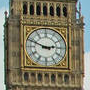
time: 2:48
